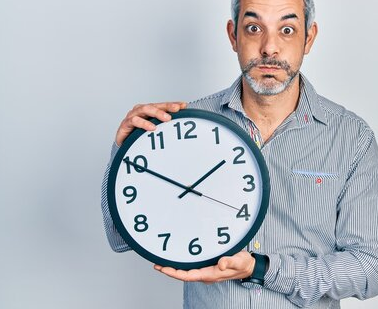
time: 1:50
